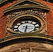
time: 6:15
